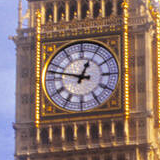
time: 12:47
